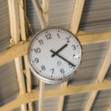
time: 2:24
